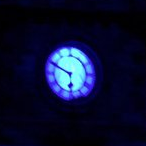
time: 5:49
